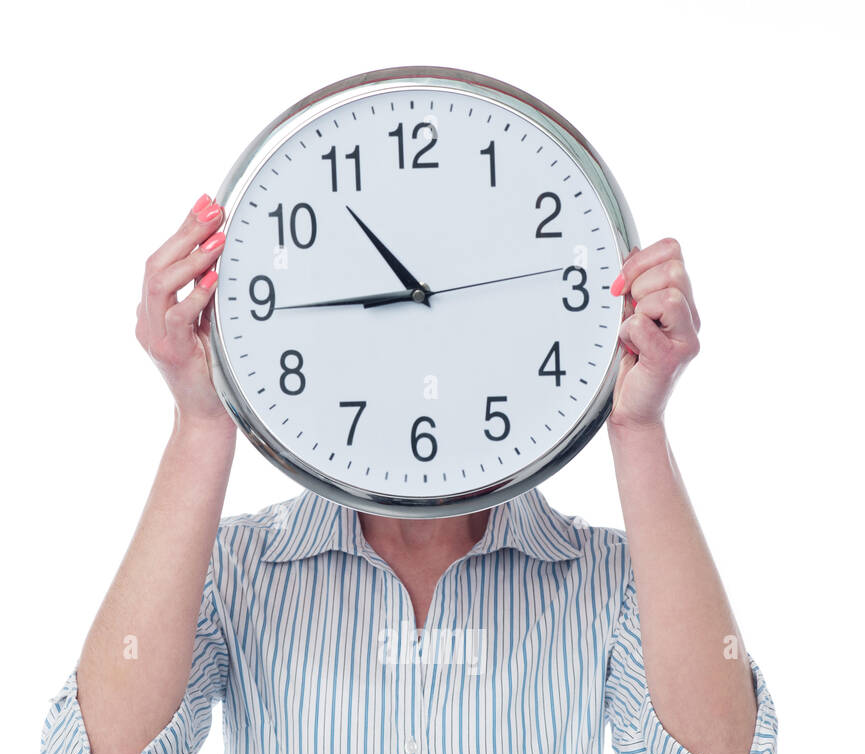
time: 10:44
